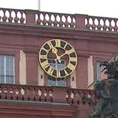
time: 11:08
